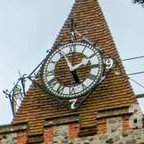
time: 1:56
